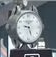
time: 9:27
